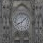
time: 8:07
